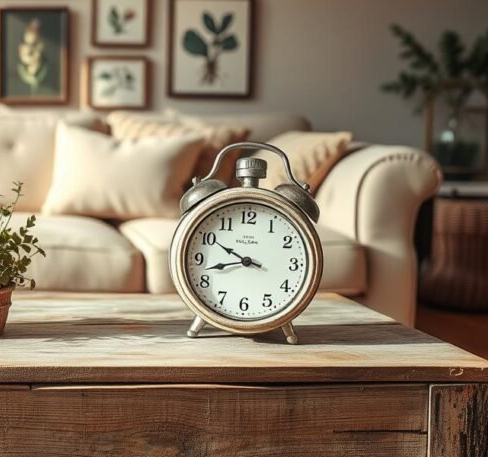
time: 9:42
